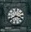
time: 3:40
